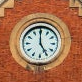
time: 4:59
